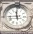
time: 11:44
